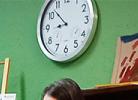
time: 8:52
